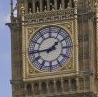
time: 1:44
